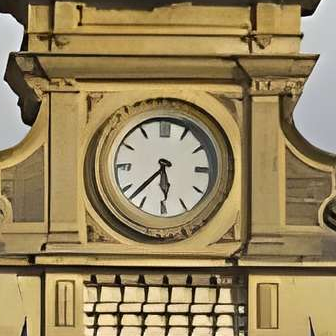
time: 5:37
